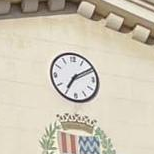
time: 7:09
